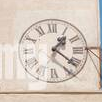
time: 1:21
